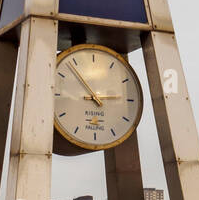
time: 2:53
